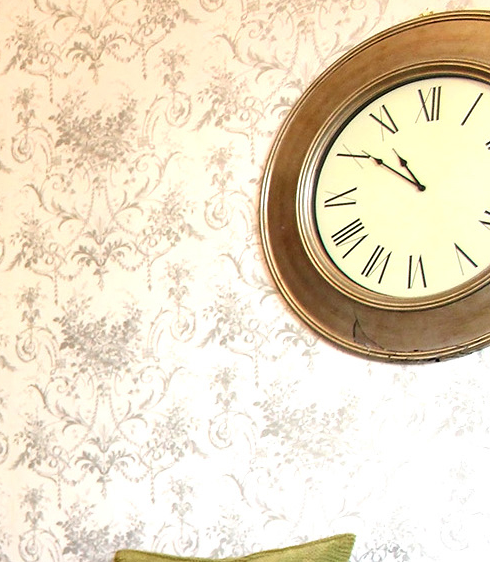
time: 10:50
